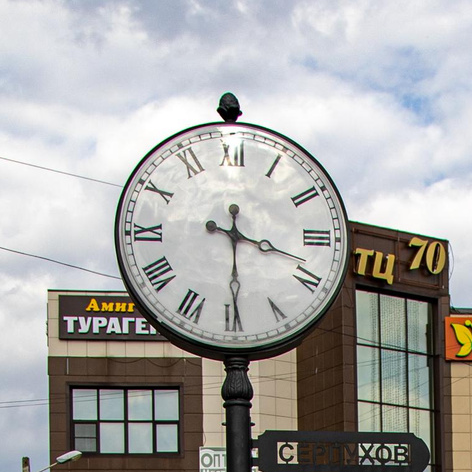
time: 3:29
